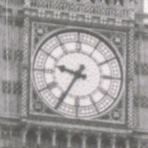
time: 9:35
